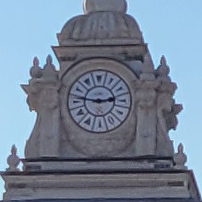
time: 2:46
